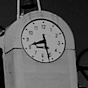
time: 8:26
